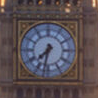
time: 7:32
